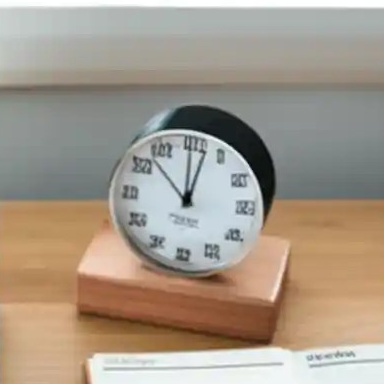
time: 12:02
